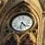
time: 4:31
